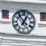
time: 12:53
